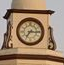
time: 7:15
